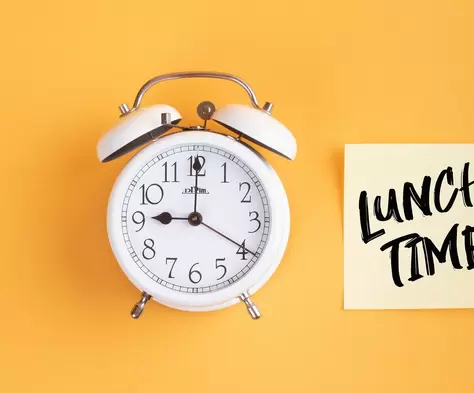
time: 9:00
